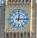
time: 12:14
